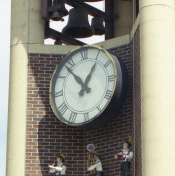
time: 12:53
